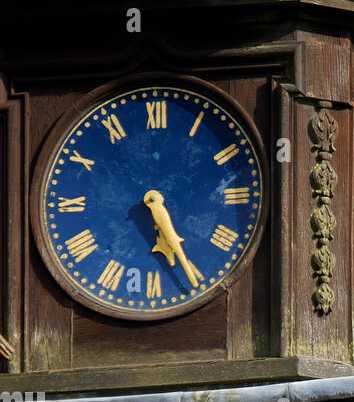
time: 5:25
